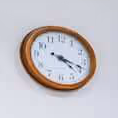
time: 4:18
